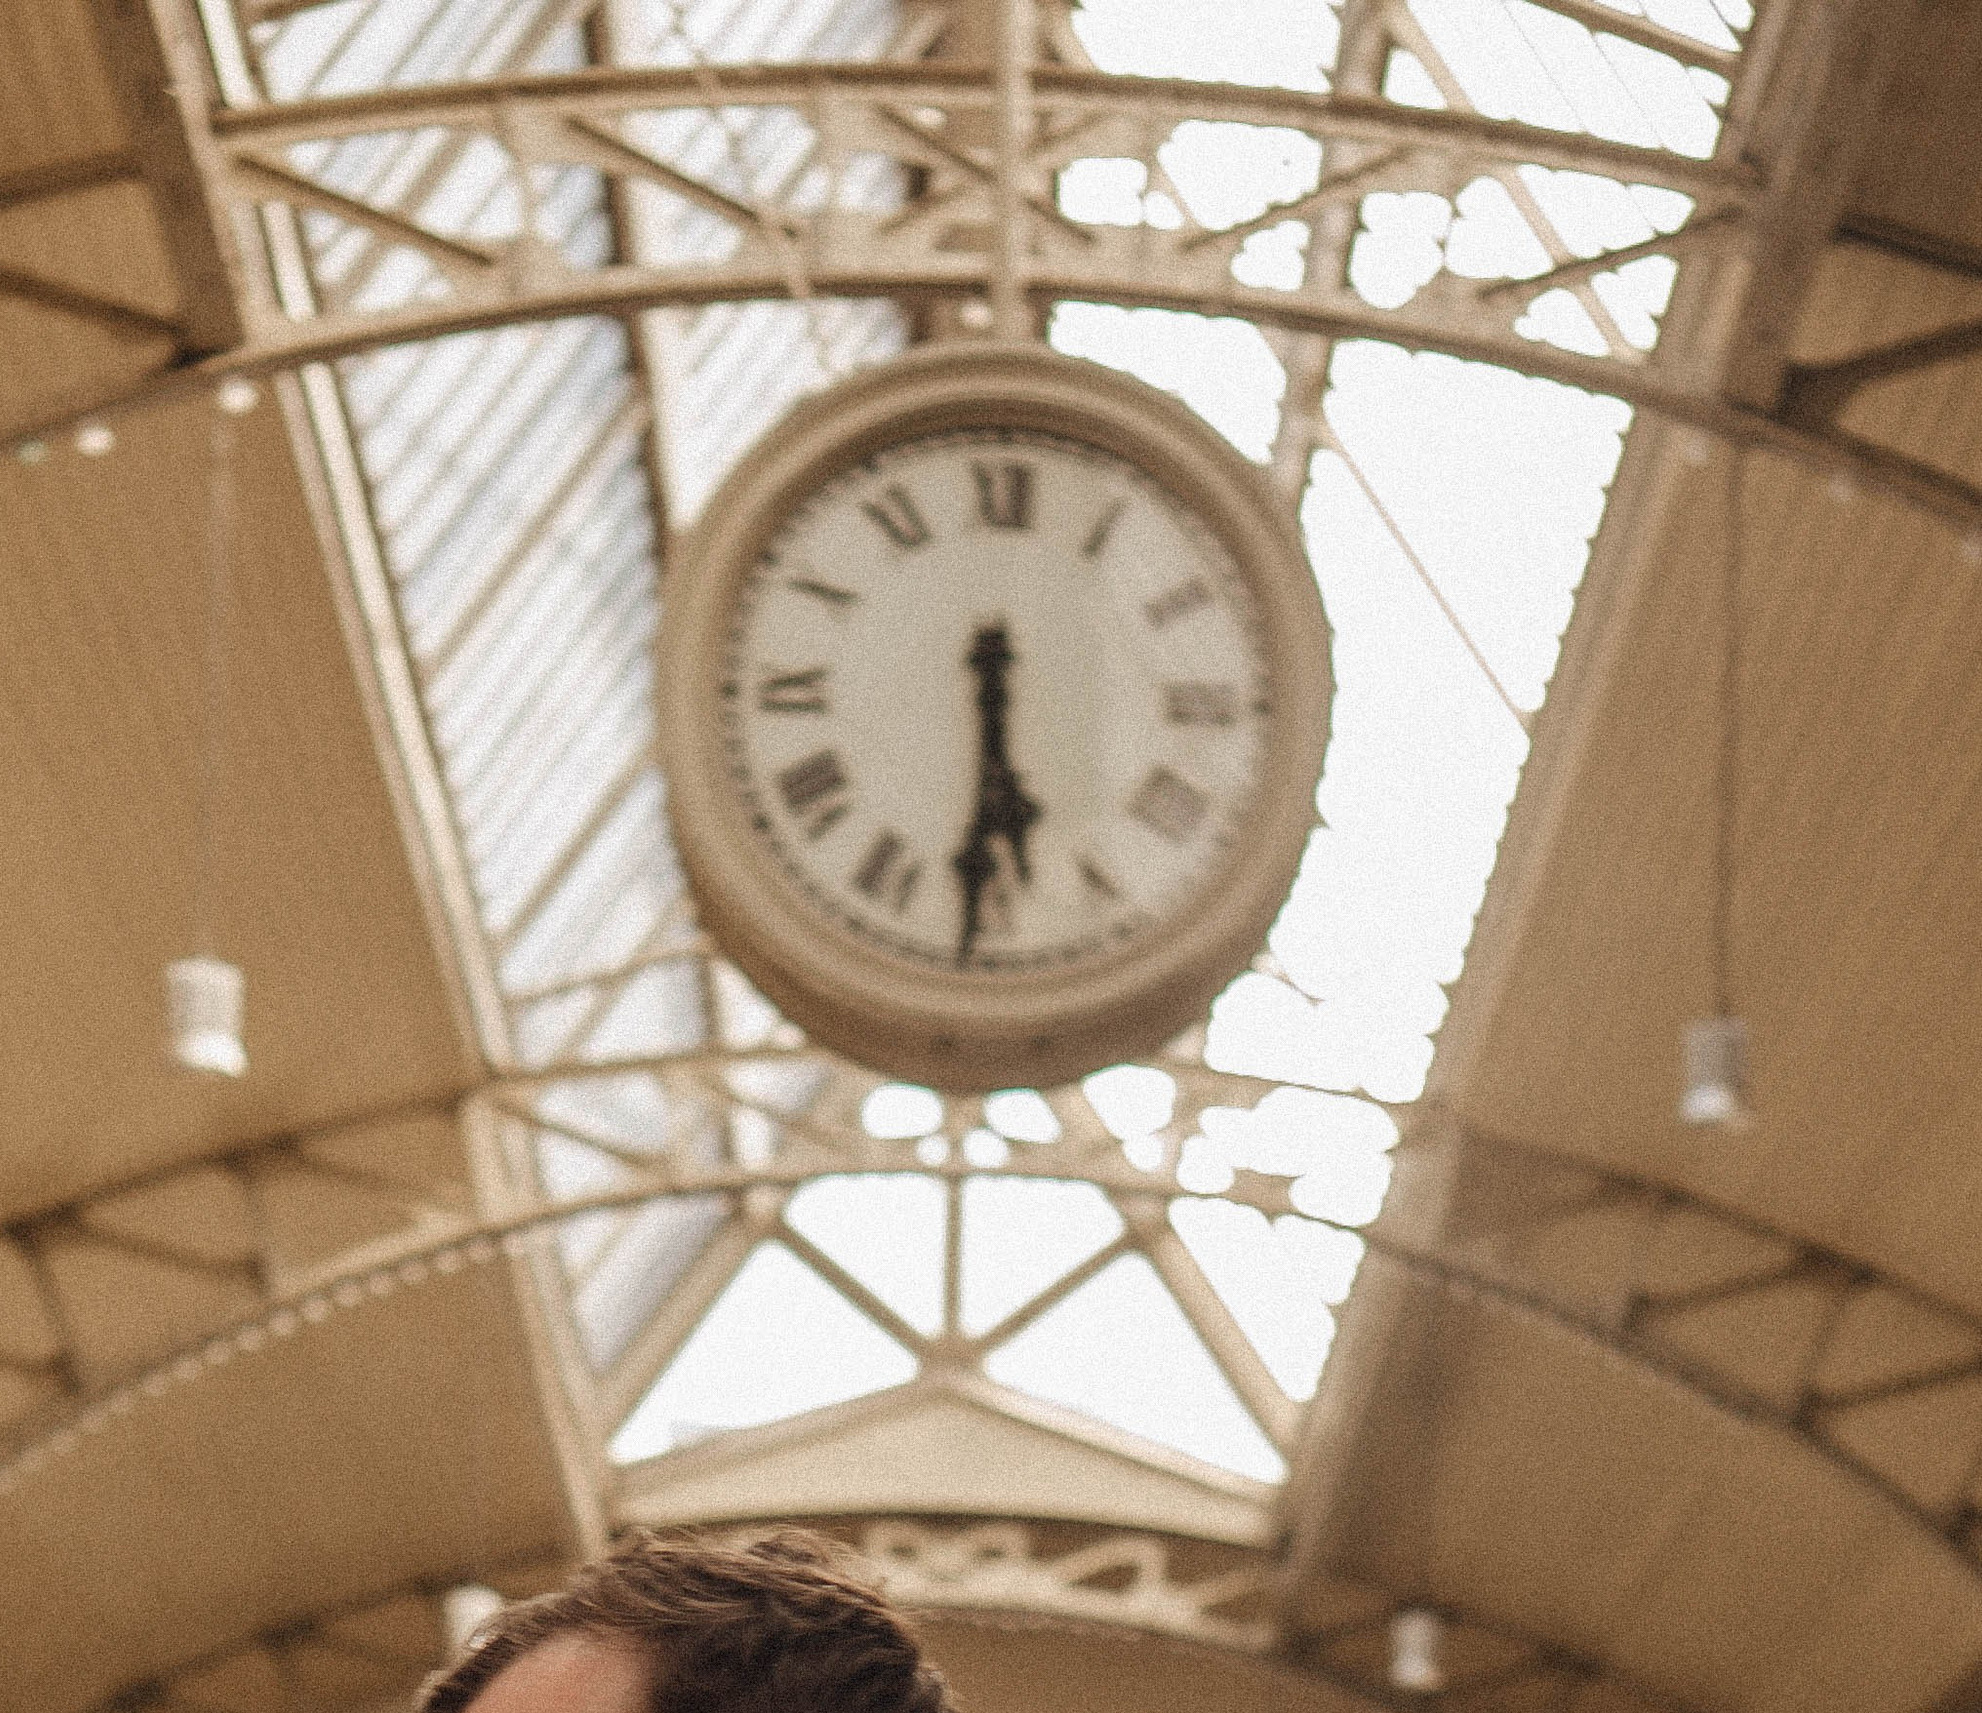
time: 5:30
